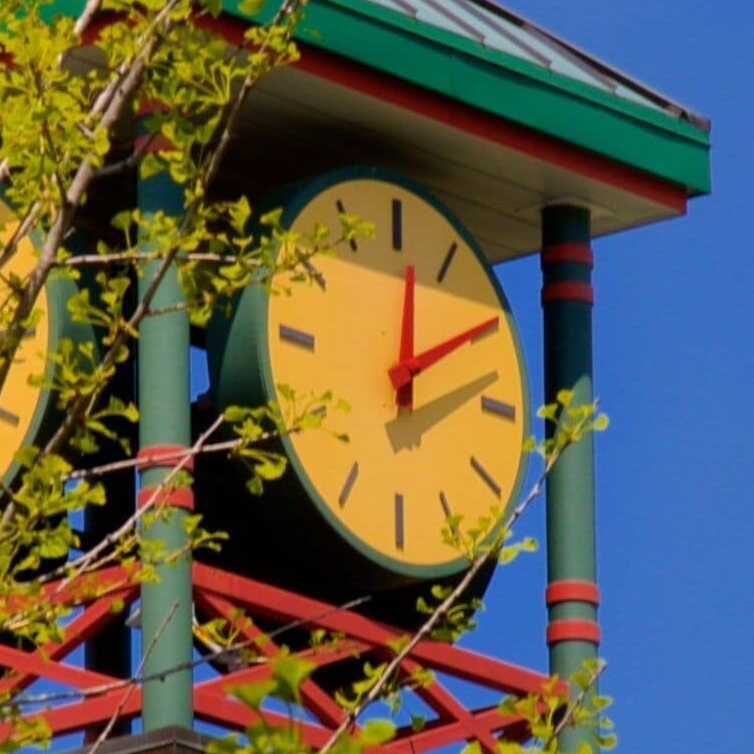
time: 12:09
